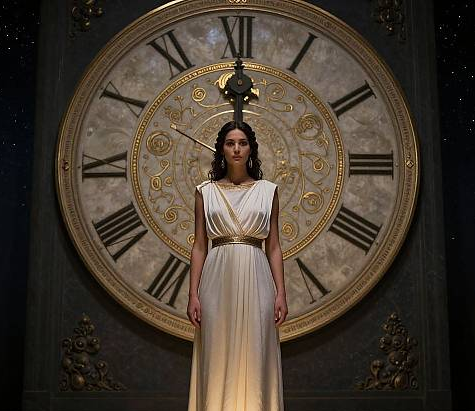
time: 12:00
